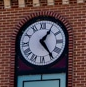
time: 1:24
